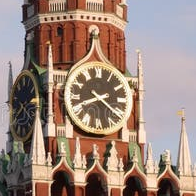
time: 8:21
